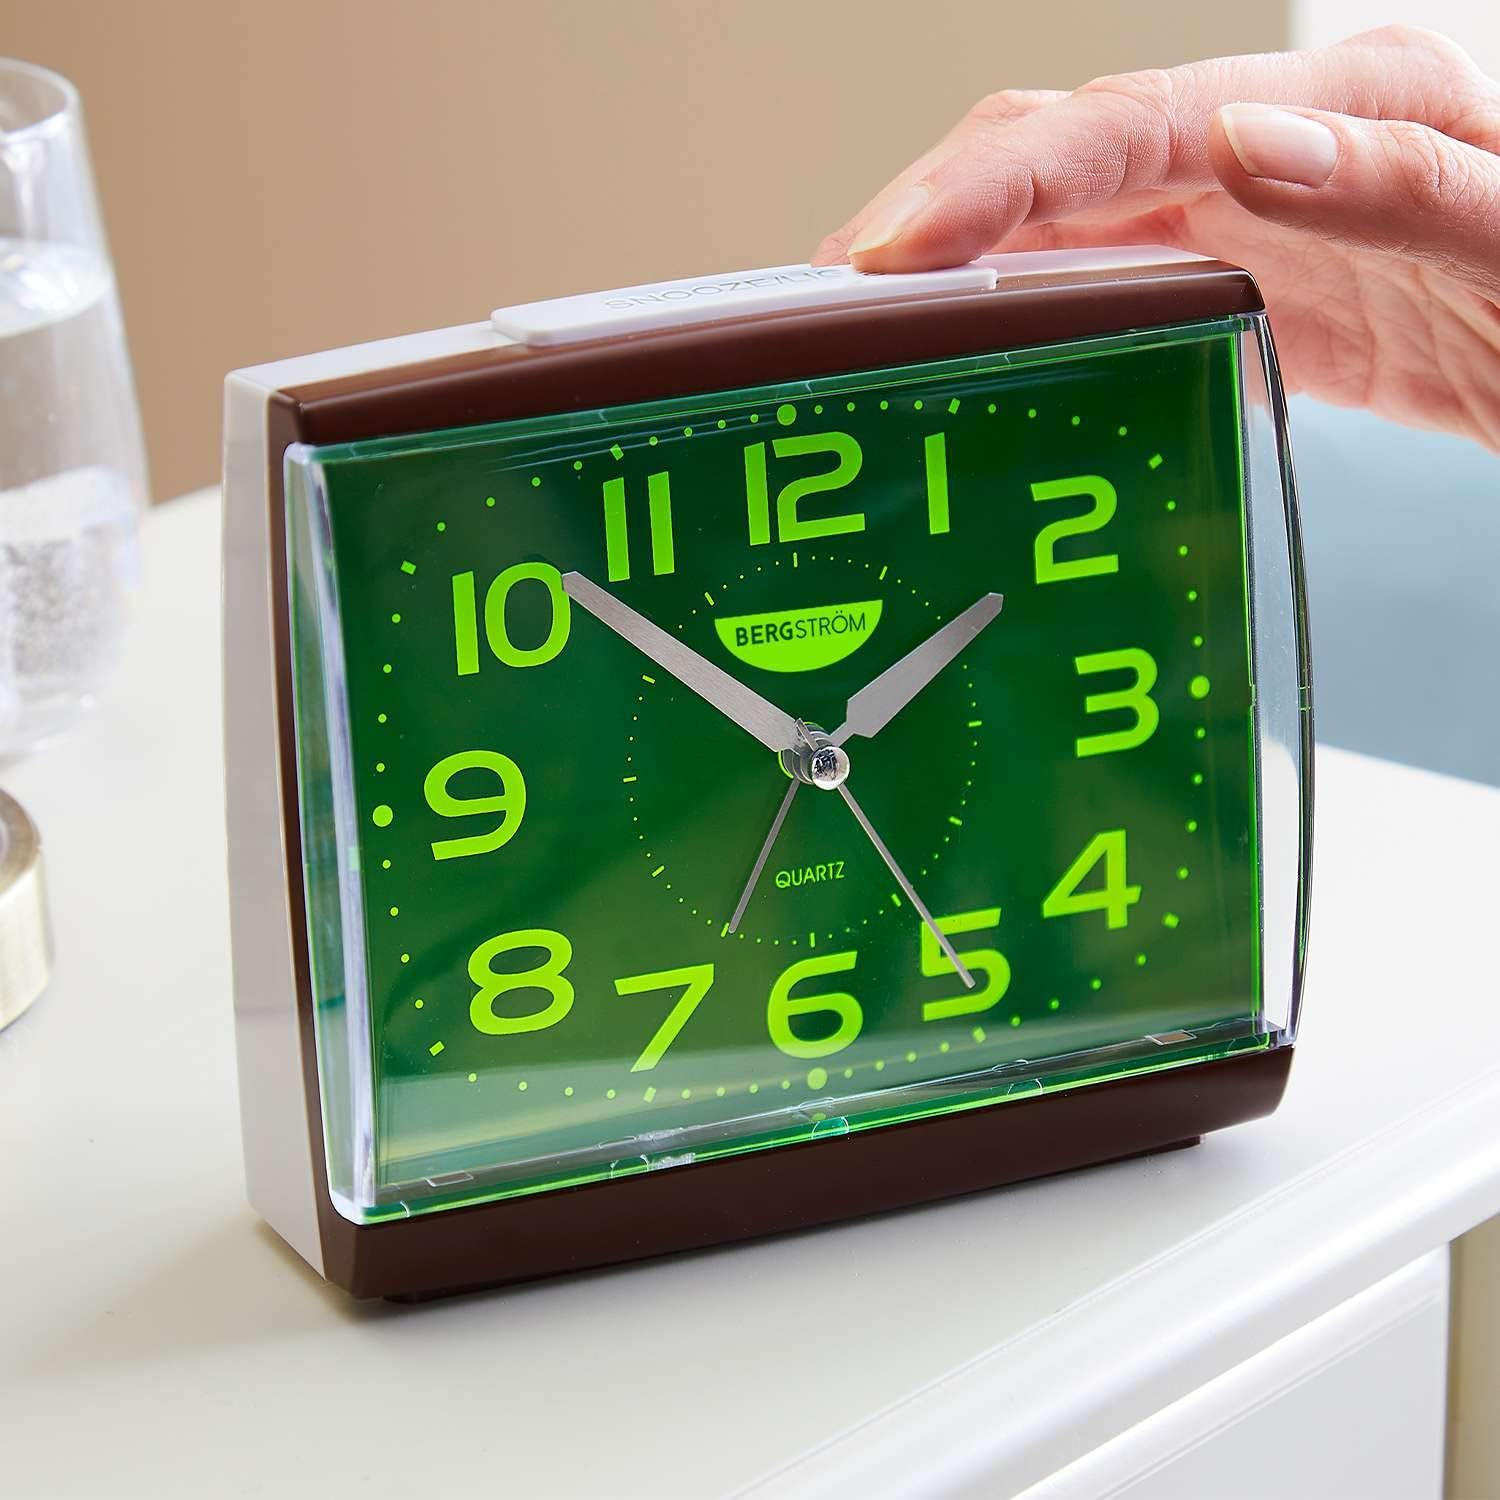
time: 1:52
